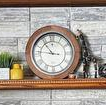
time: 10:46
